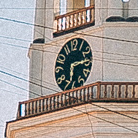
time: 6:14
